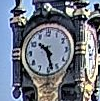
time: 10:28
